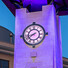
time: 8:38
